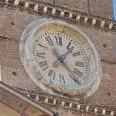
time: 1:23
